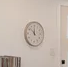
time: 11:51
